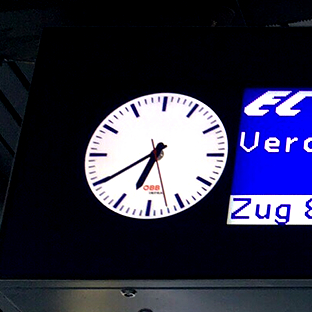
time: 6:39
